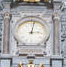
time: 3:02
